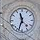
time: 11:33
